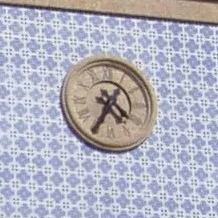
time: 4:35
